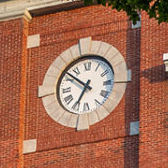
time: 6:51
